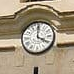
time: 4:00
